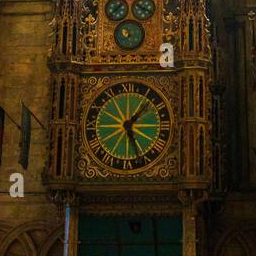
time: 1:26
